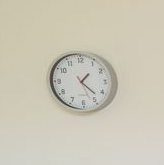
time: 1:22
